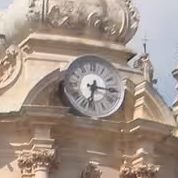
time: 6:15
